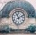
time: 11:10
